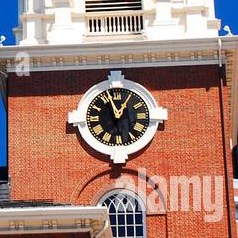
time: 12:57
